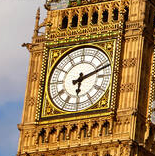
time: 6:11
